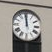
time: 11:59
